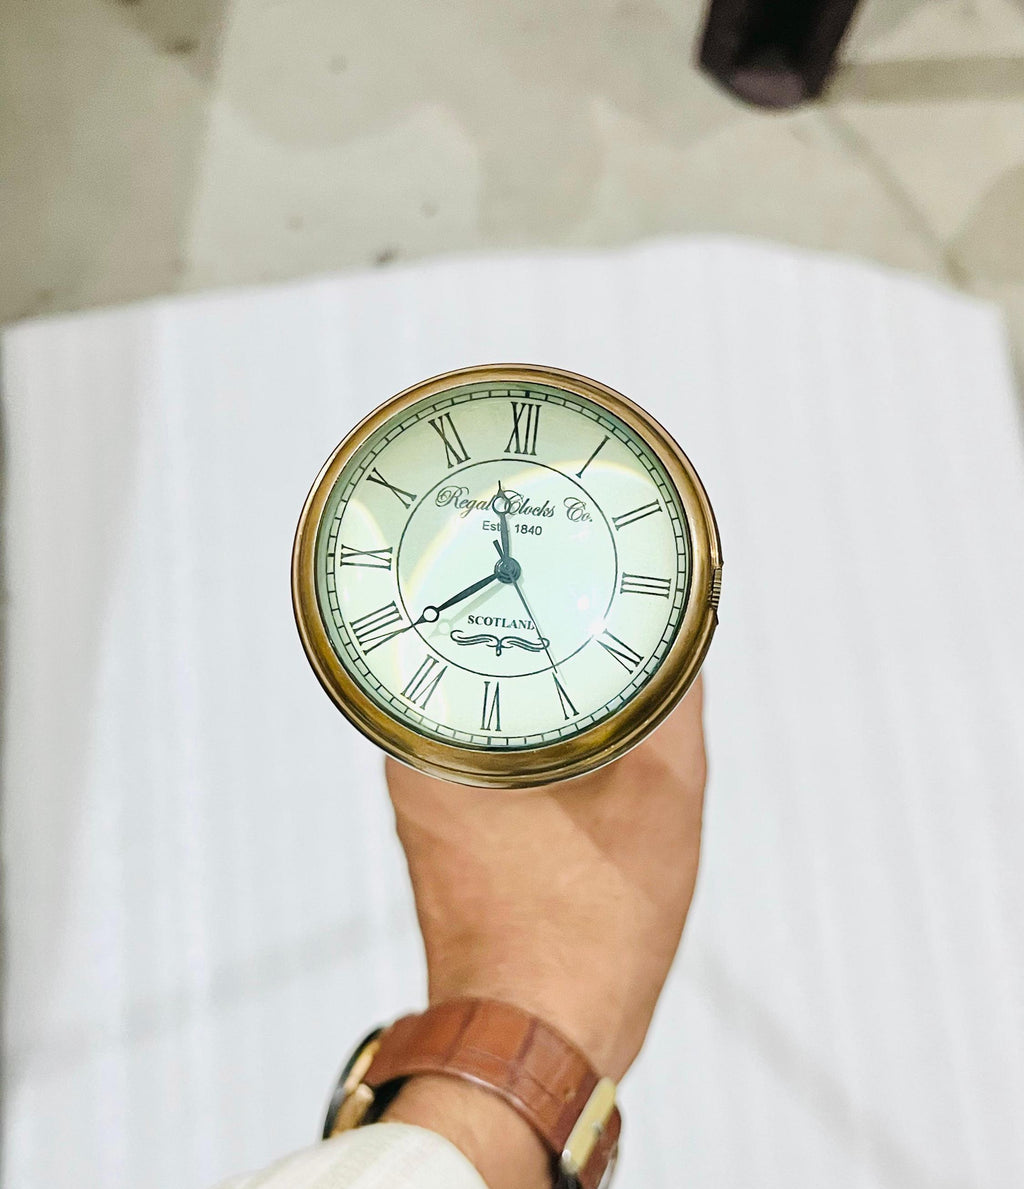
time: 11:38
